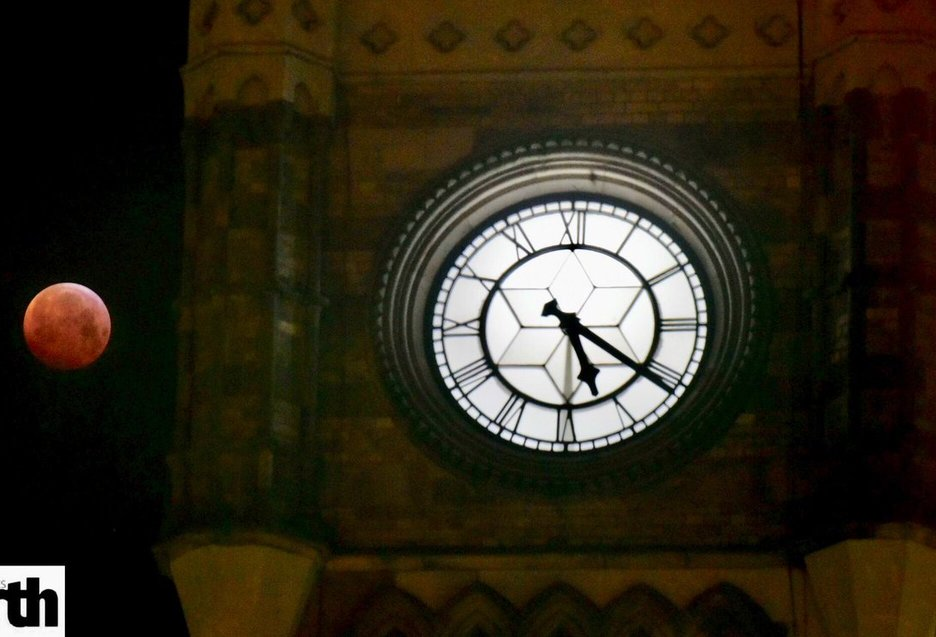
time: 5:20
